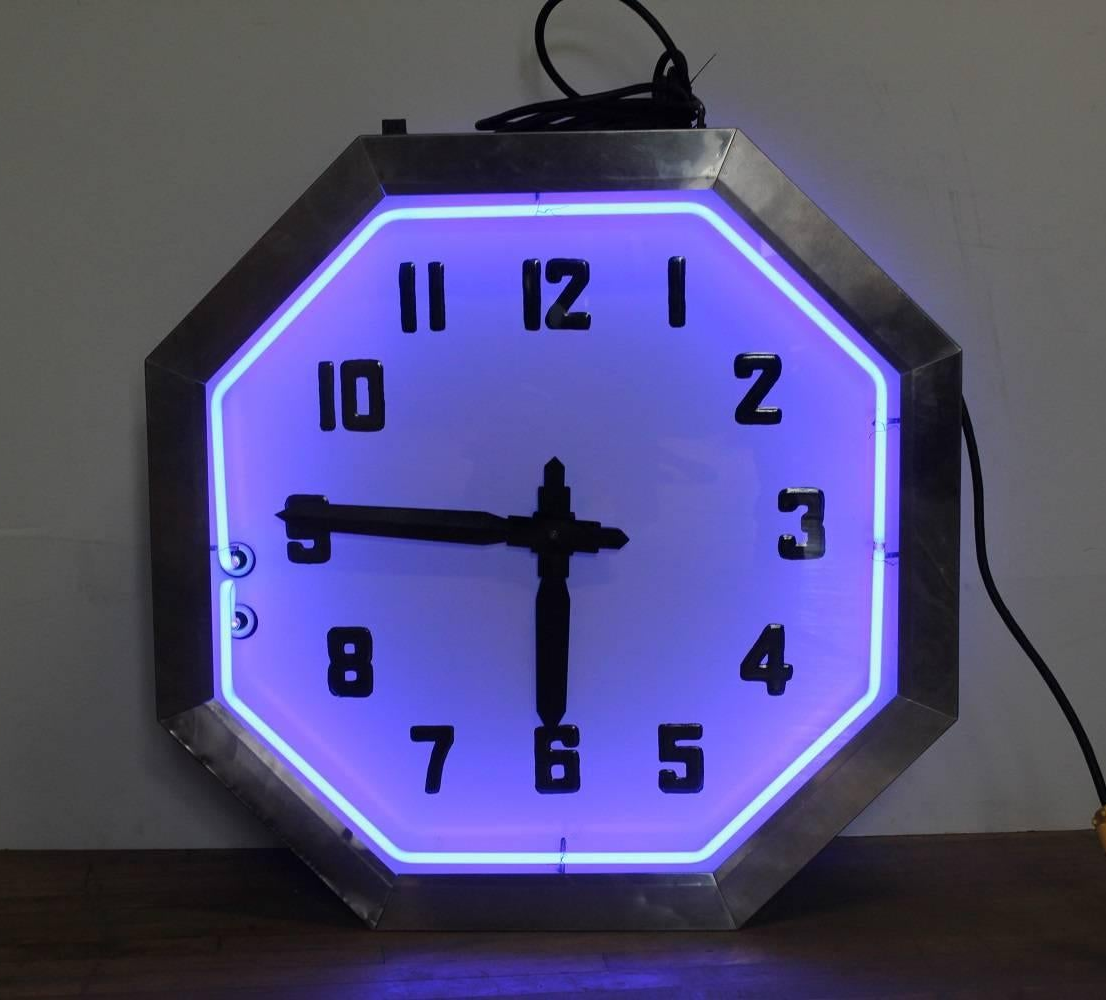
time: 5:45
